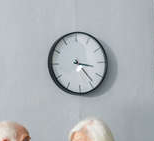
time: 3:23
